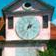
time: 2:02
